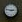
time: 2:46
